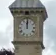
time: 12:00
